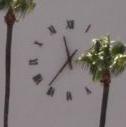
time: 11:36
